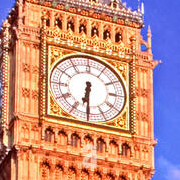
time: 6:30
